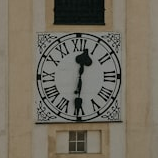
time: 12:30
